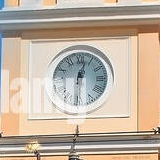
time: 12:30
